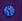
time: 10:28
